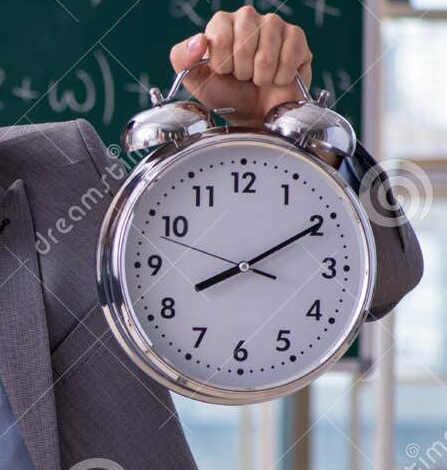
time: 8:10
